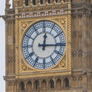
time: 12:15
